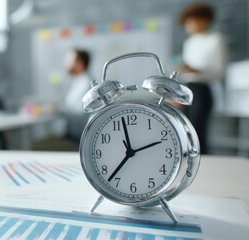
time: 11:36
